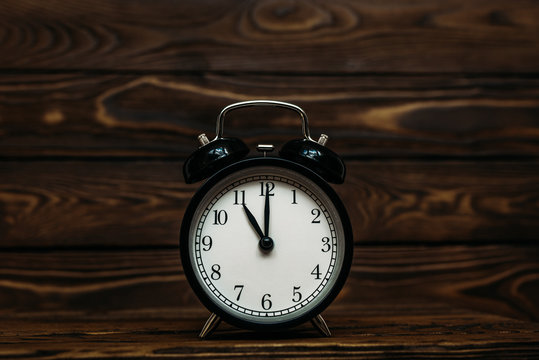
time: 11:00
